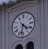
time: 4:32
